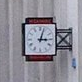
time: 3:03
